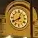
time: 12:40
